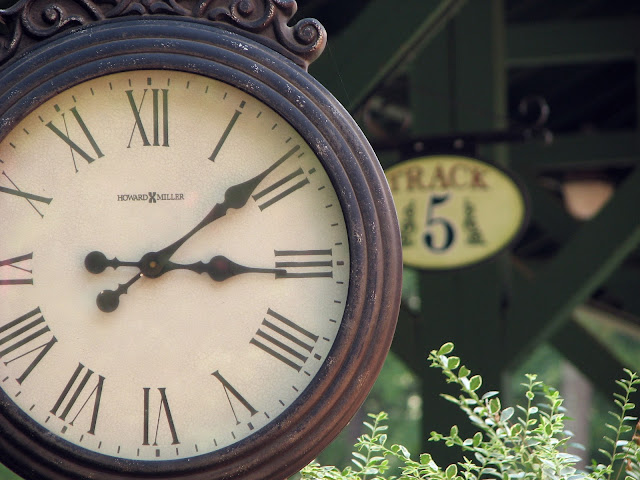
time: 3:08
